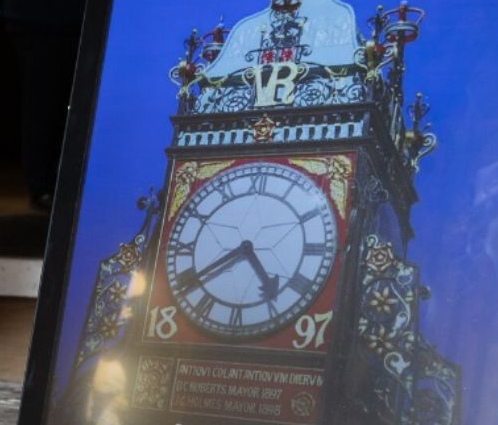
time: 4:39
